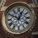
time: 12:49
